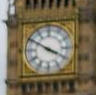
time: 3:50
